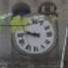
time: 9:45
